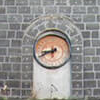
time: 8:40
